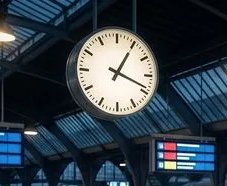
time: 1:18
